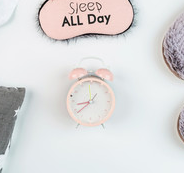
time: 8:38
